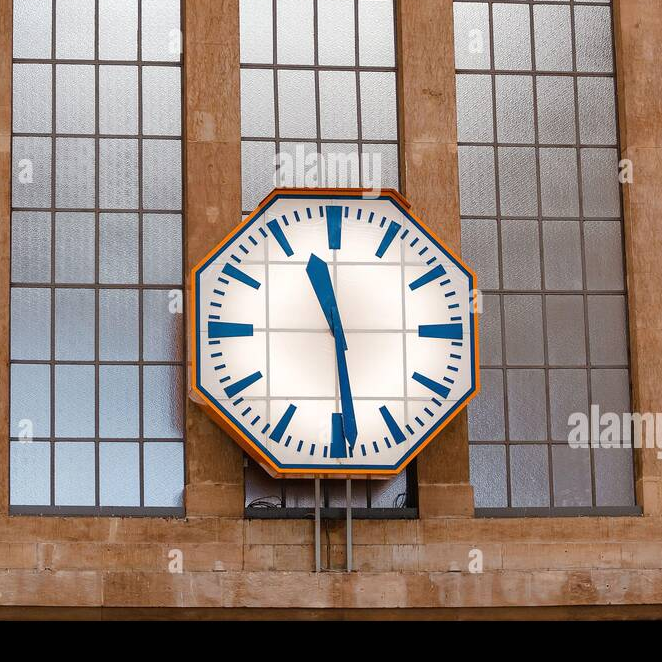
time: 11:28
